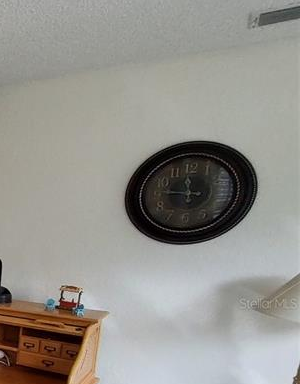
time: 11:46
